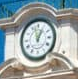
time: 12:57
